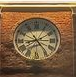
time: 8:23
